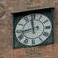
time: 11:43
